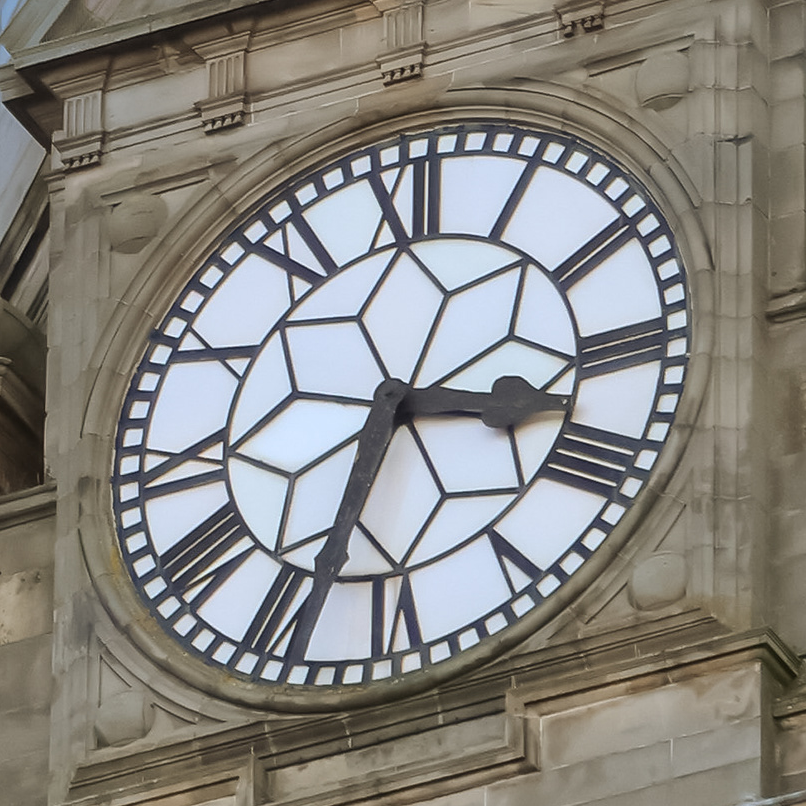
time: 3:33
